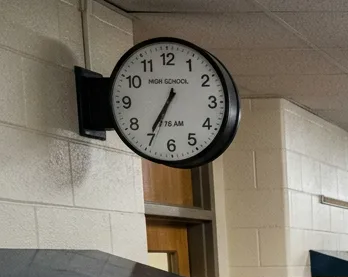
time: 6:35
